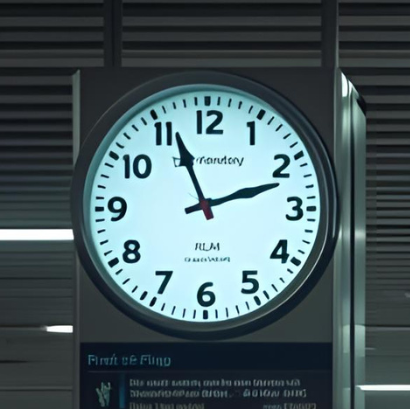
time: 11:11
